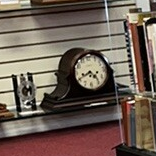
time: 4:40
